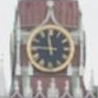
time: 11:46
